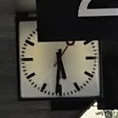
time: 5:31
